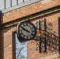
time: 9:50
